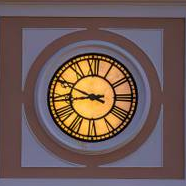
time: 8:49
